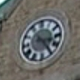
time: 3:24
